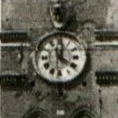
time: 4:01
